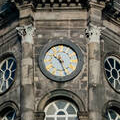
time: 10:26
